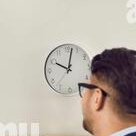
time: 10:02
